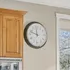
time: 11:48
